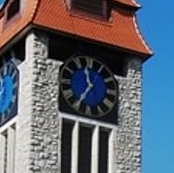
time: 11:35
